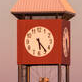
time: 5:23
